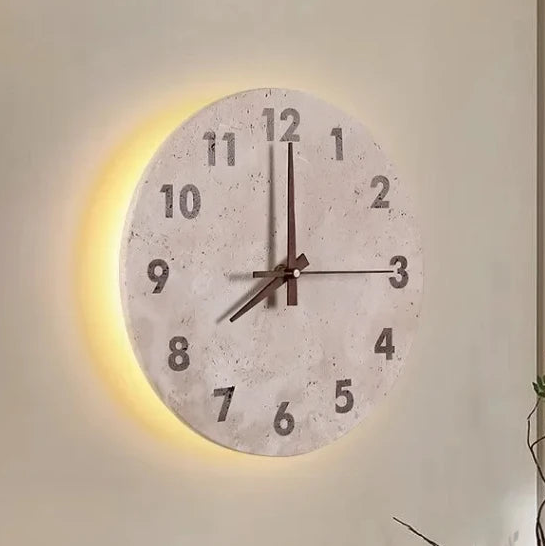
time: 8:00
